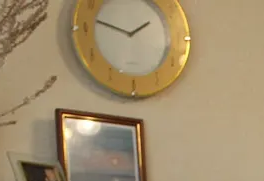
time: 1:47
